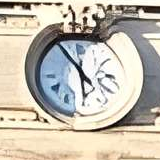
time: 5:54
